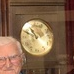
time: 10:48
